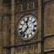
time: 11:37
